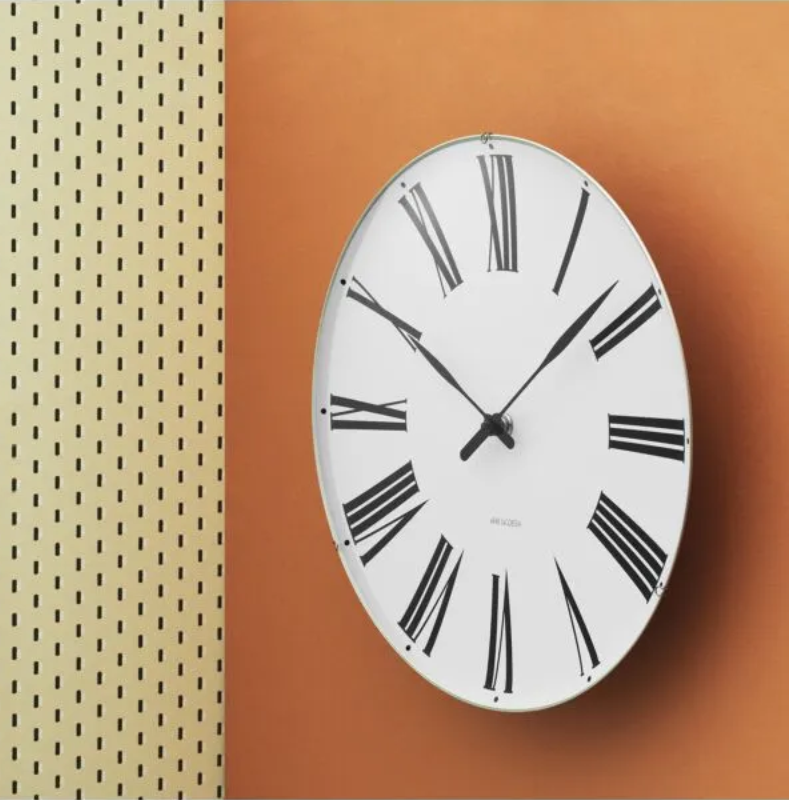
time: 10:08
